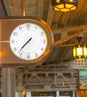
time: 7:37
